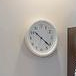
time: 10:21
